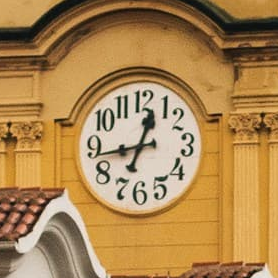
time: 12:43
